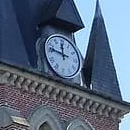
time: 11:46
